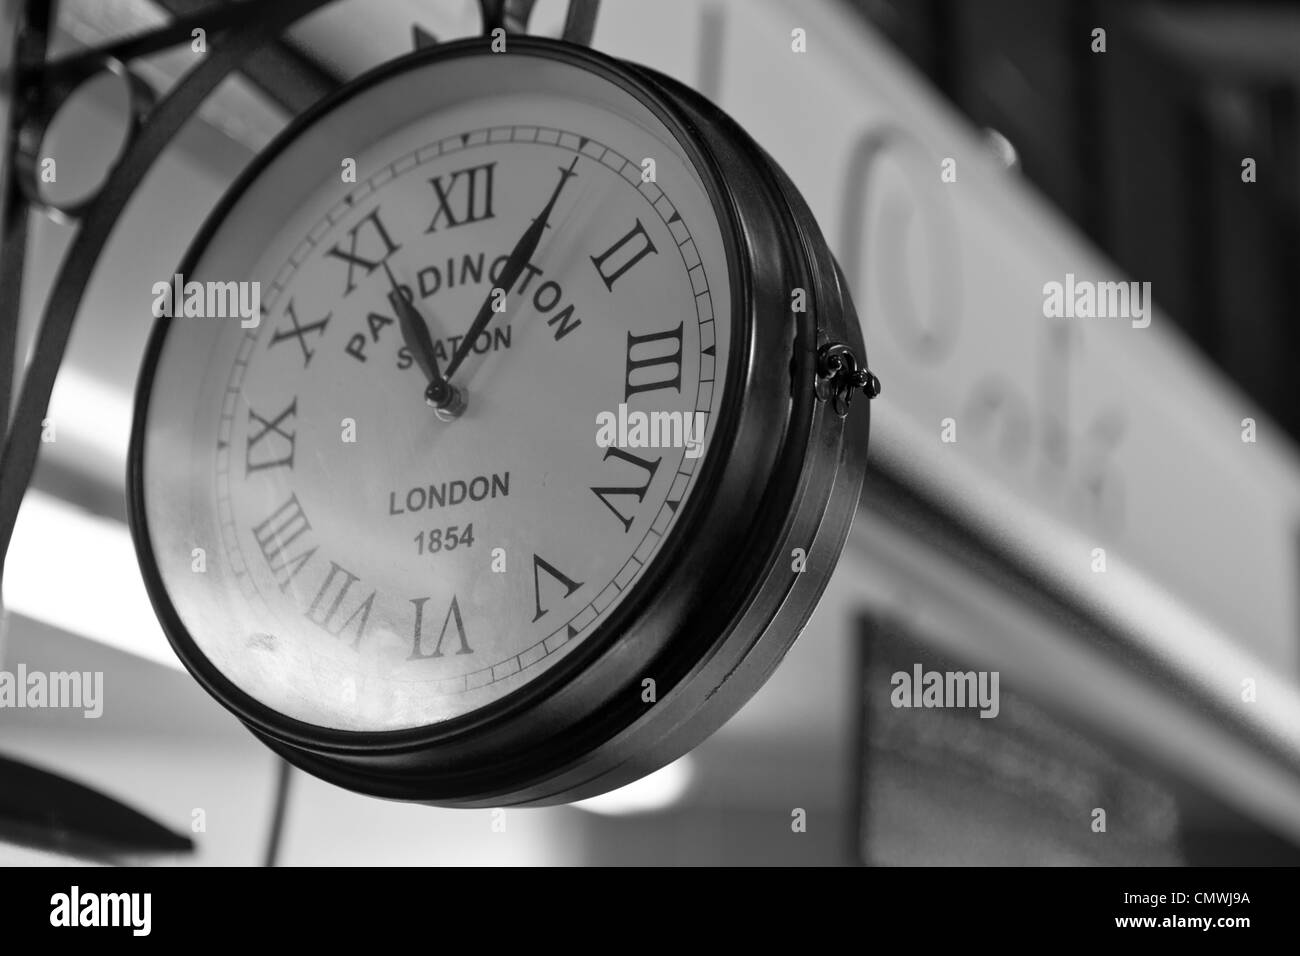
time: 11:05
